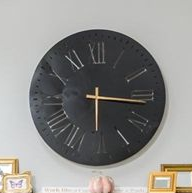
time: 6:16
